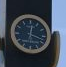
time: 12:18
